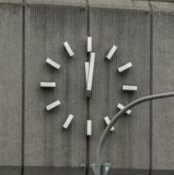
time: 12:01
